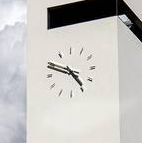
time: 4:49
